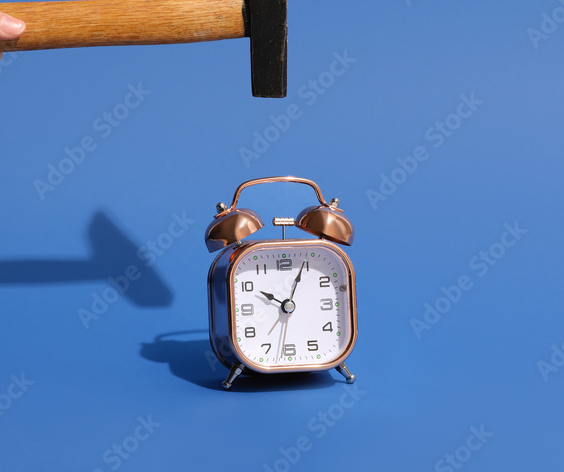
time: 10:04
